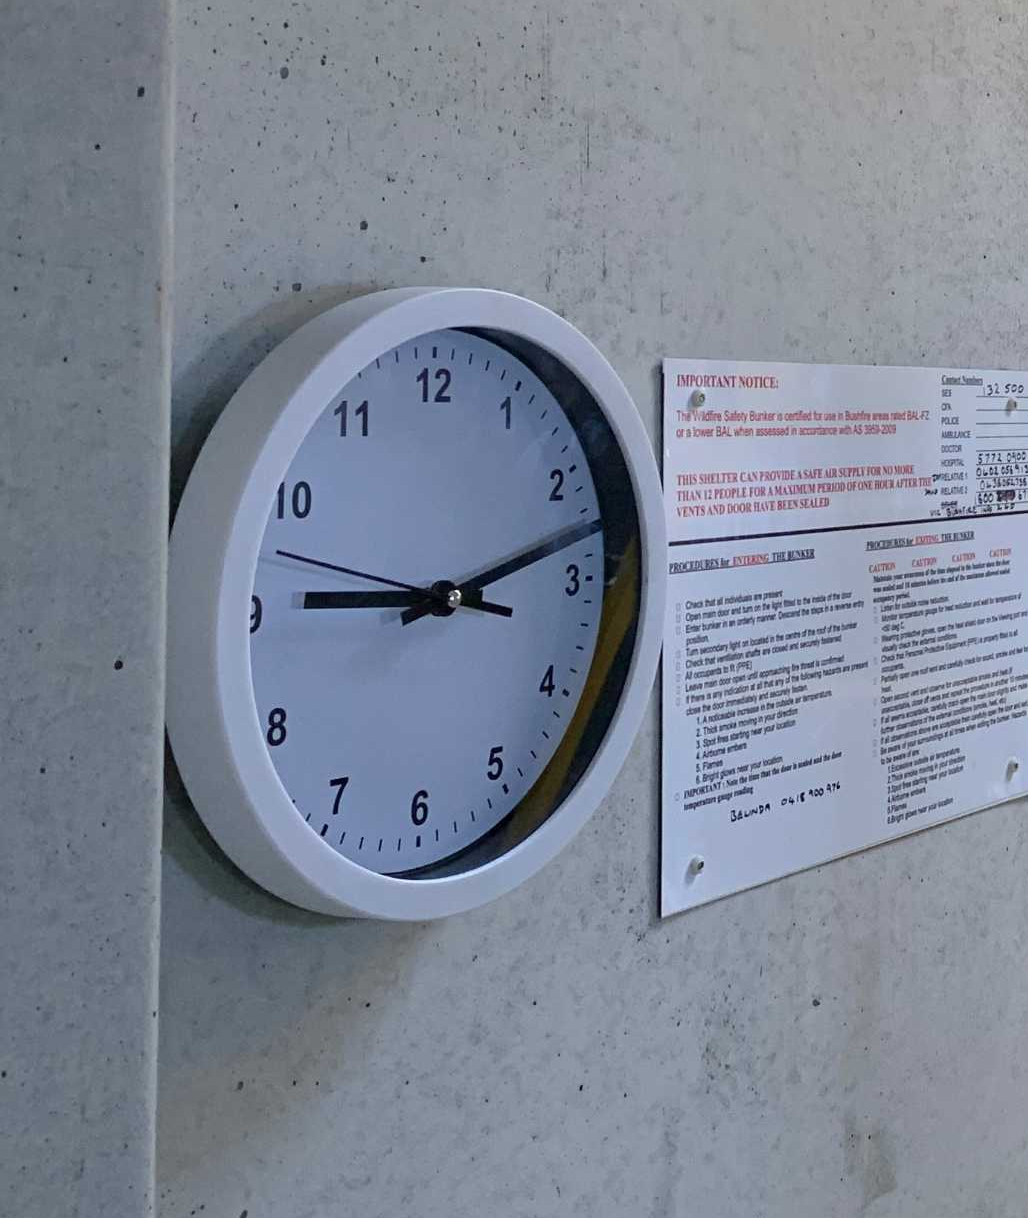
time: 9:12
